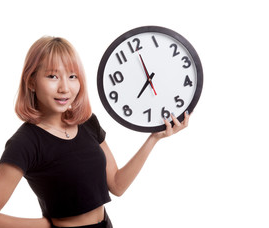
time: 8:00
